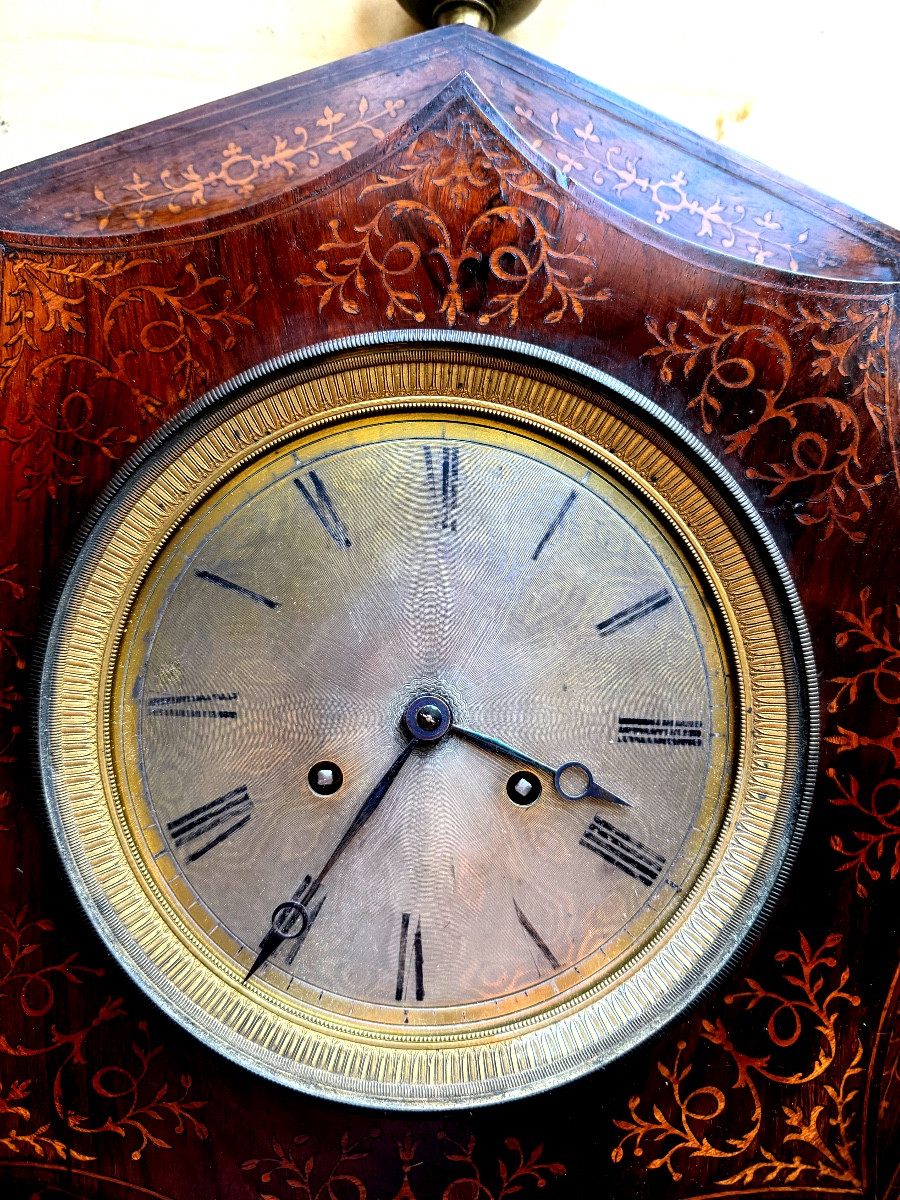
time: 3:35
